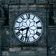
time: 8:32
